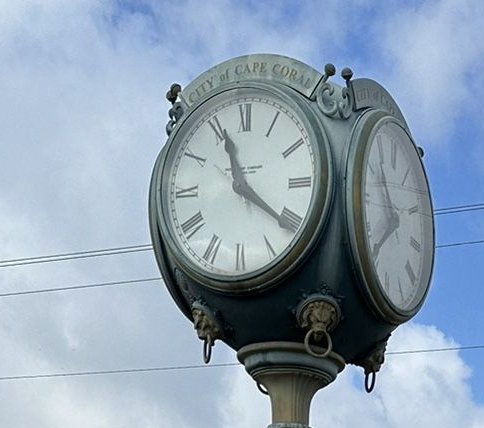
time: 11:20
